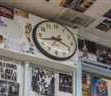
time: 3:42
